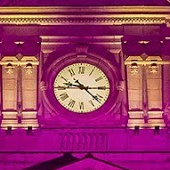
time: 9:22
